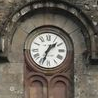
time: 1:33
